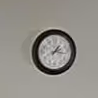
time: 1:16
